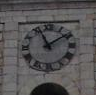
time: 11:09
